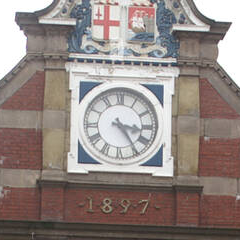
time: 3:24
